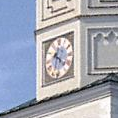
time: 4:33
